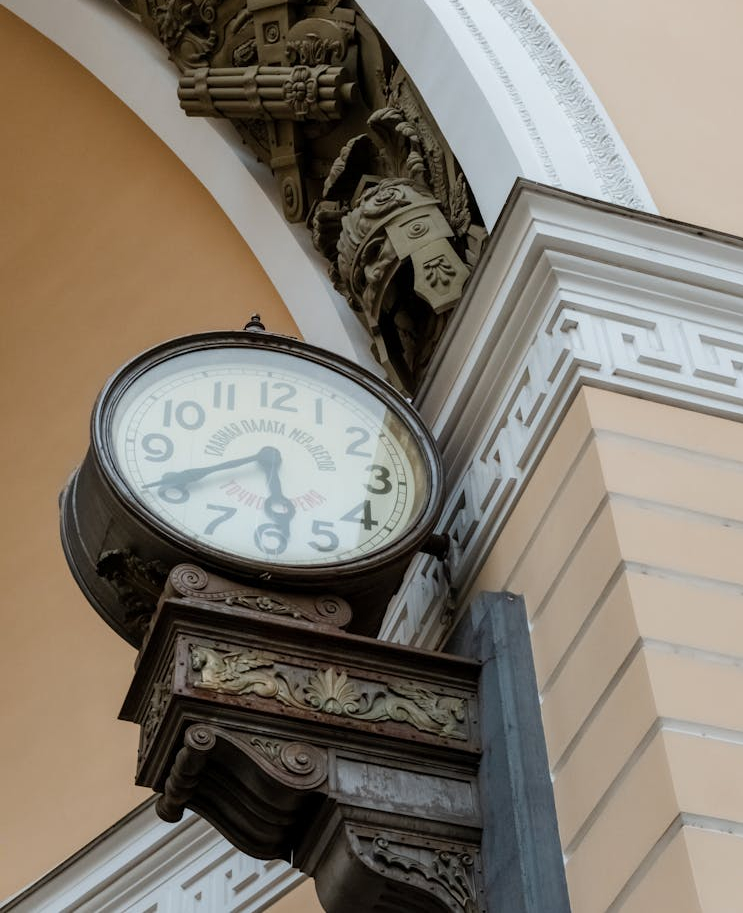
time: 5:40
